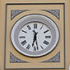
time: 6:28
